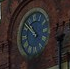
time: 10:51
